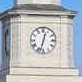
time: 12:32
